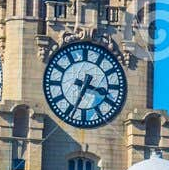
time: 3:34
